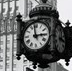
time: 2:58
